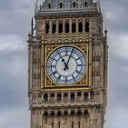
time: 11:03
